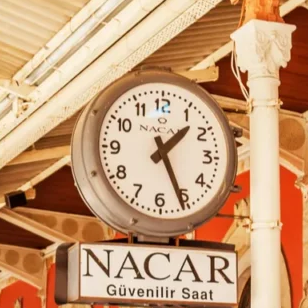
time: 1:25
